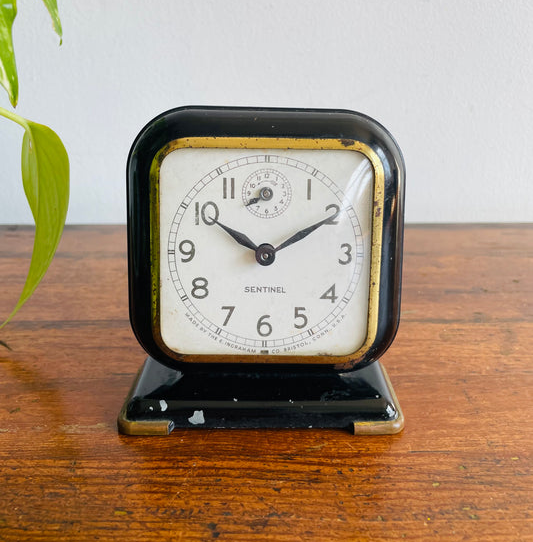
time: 10:10
